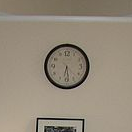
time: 6:28
